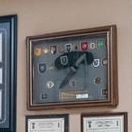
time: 1:37
